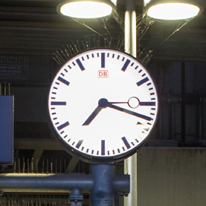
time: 7:18
